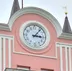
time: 3:06
